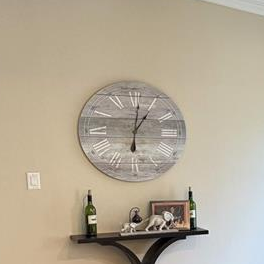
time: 1:01
